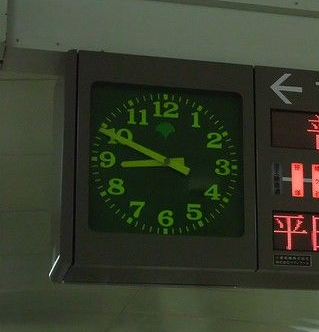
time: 8:49
